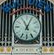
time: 11:04
